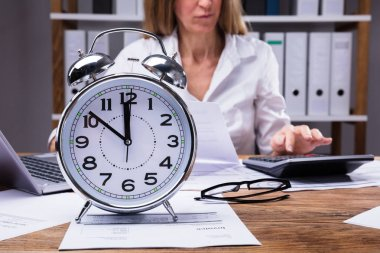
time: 11:51
